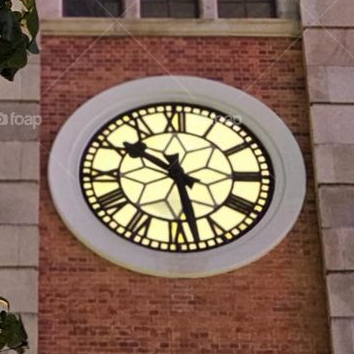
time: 10:28
